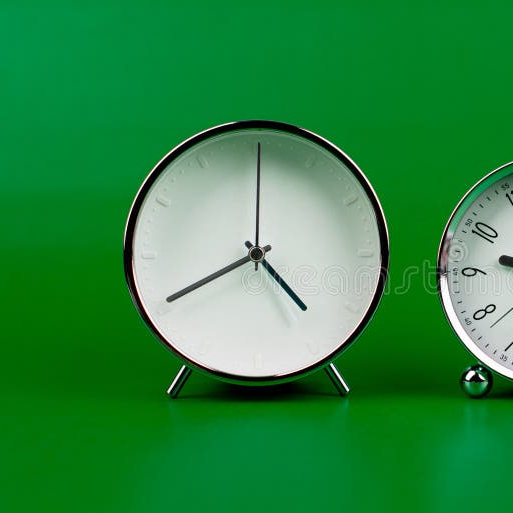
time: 4:40
